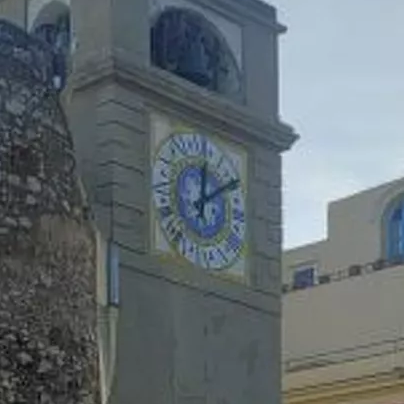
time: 12:09
